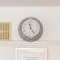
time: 11:23
